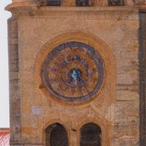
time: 4:26
